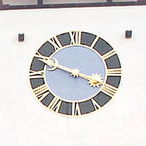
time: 3:48
